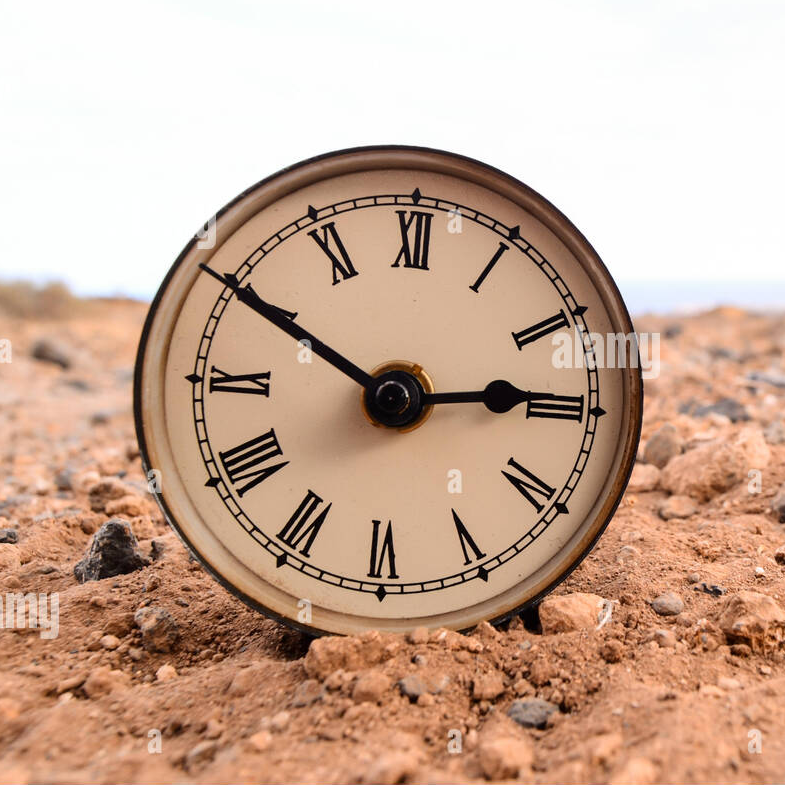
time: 2:49
